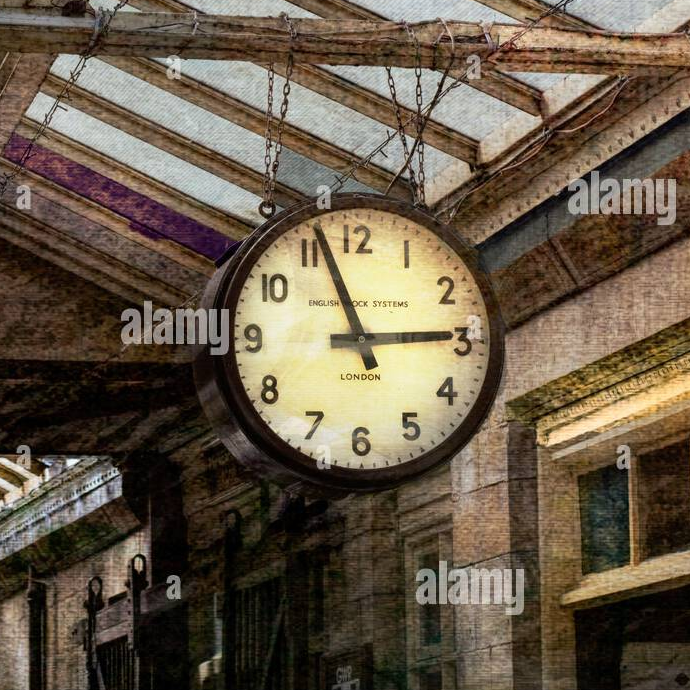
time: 2:56
